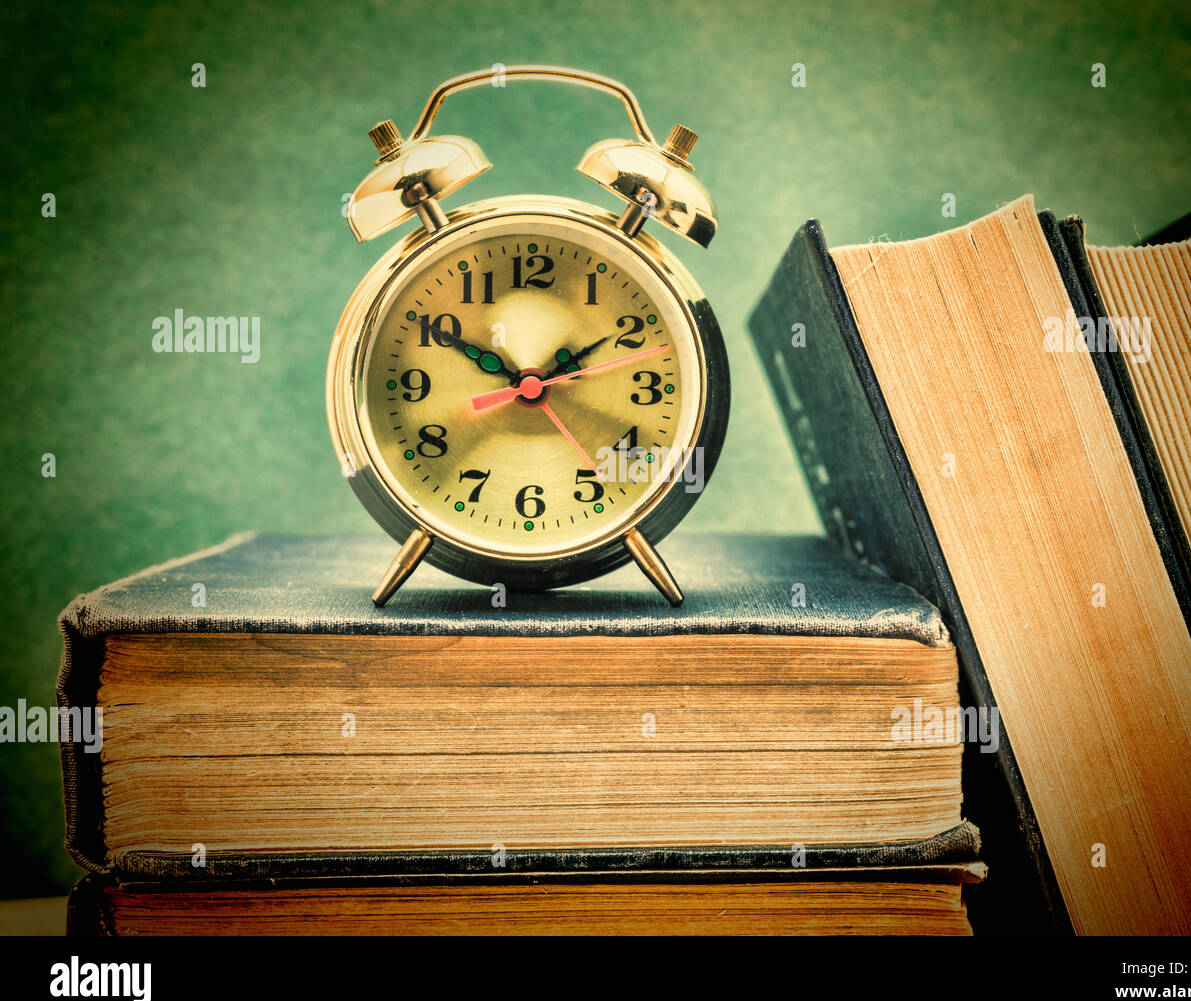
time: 1:50
